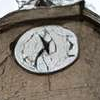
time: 11:35
